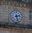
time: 2:27
